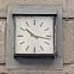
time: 10:16
